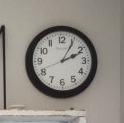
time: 2:05
